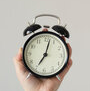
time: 7:02
